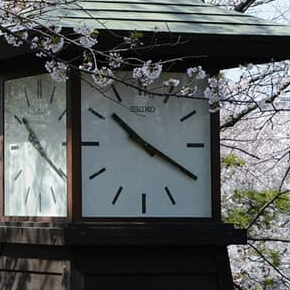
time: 10:19
